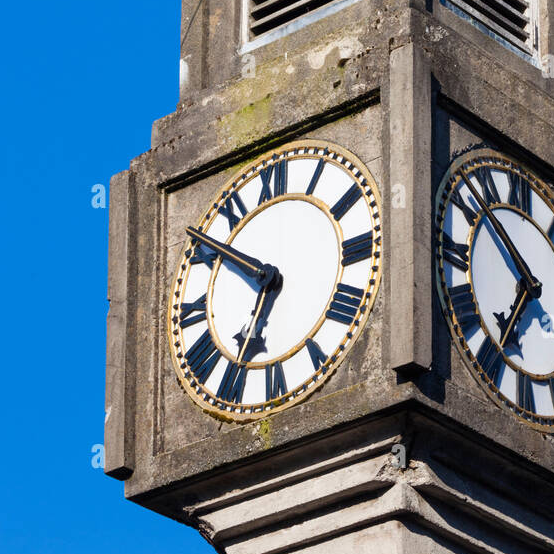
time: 6:50
